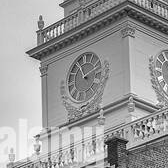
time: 11:11
